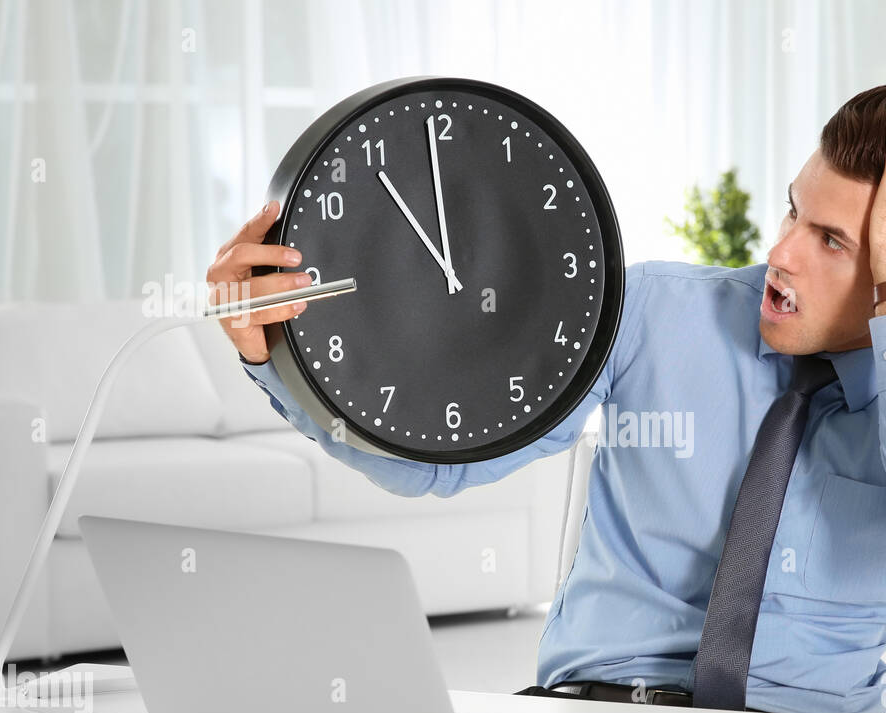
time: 10:59
